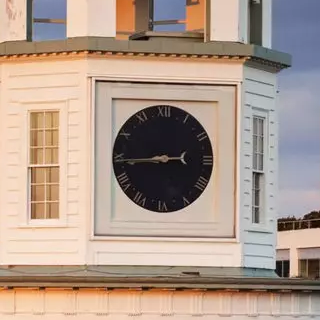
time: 8:44
